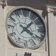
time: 4:07
